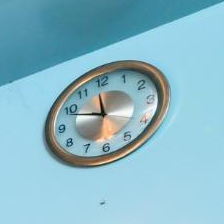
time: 11:48
